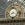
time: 8:17
